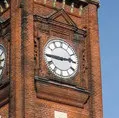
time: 2:45
